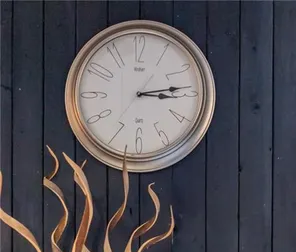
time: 3:13
